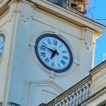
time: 6:47
